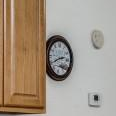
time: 2:40
